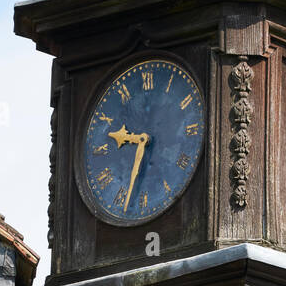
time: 9:33
